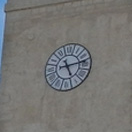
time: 5:13
